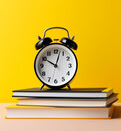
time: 10:02
